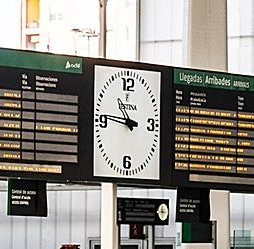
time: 10:46
